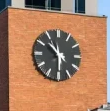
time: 10:30
